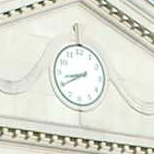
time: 8:40
